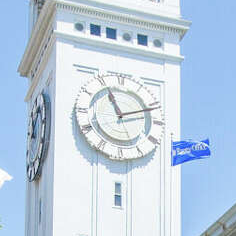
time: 11:11
